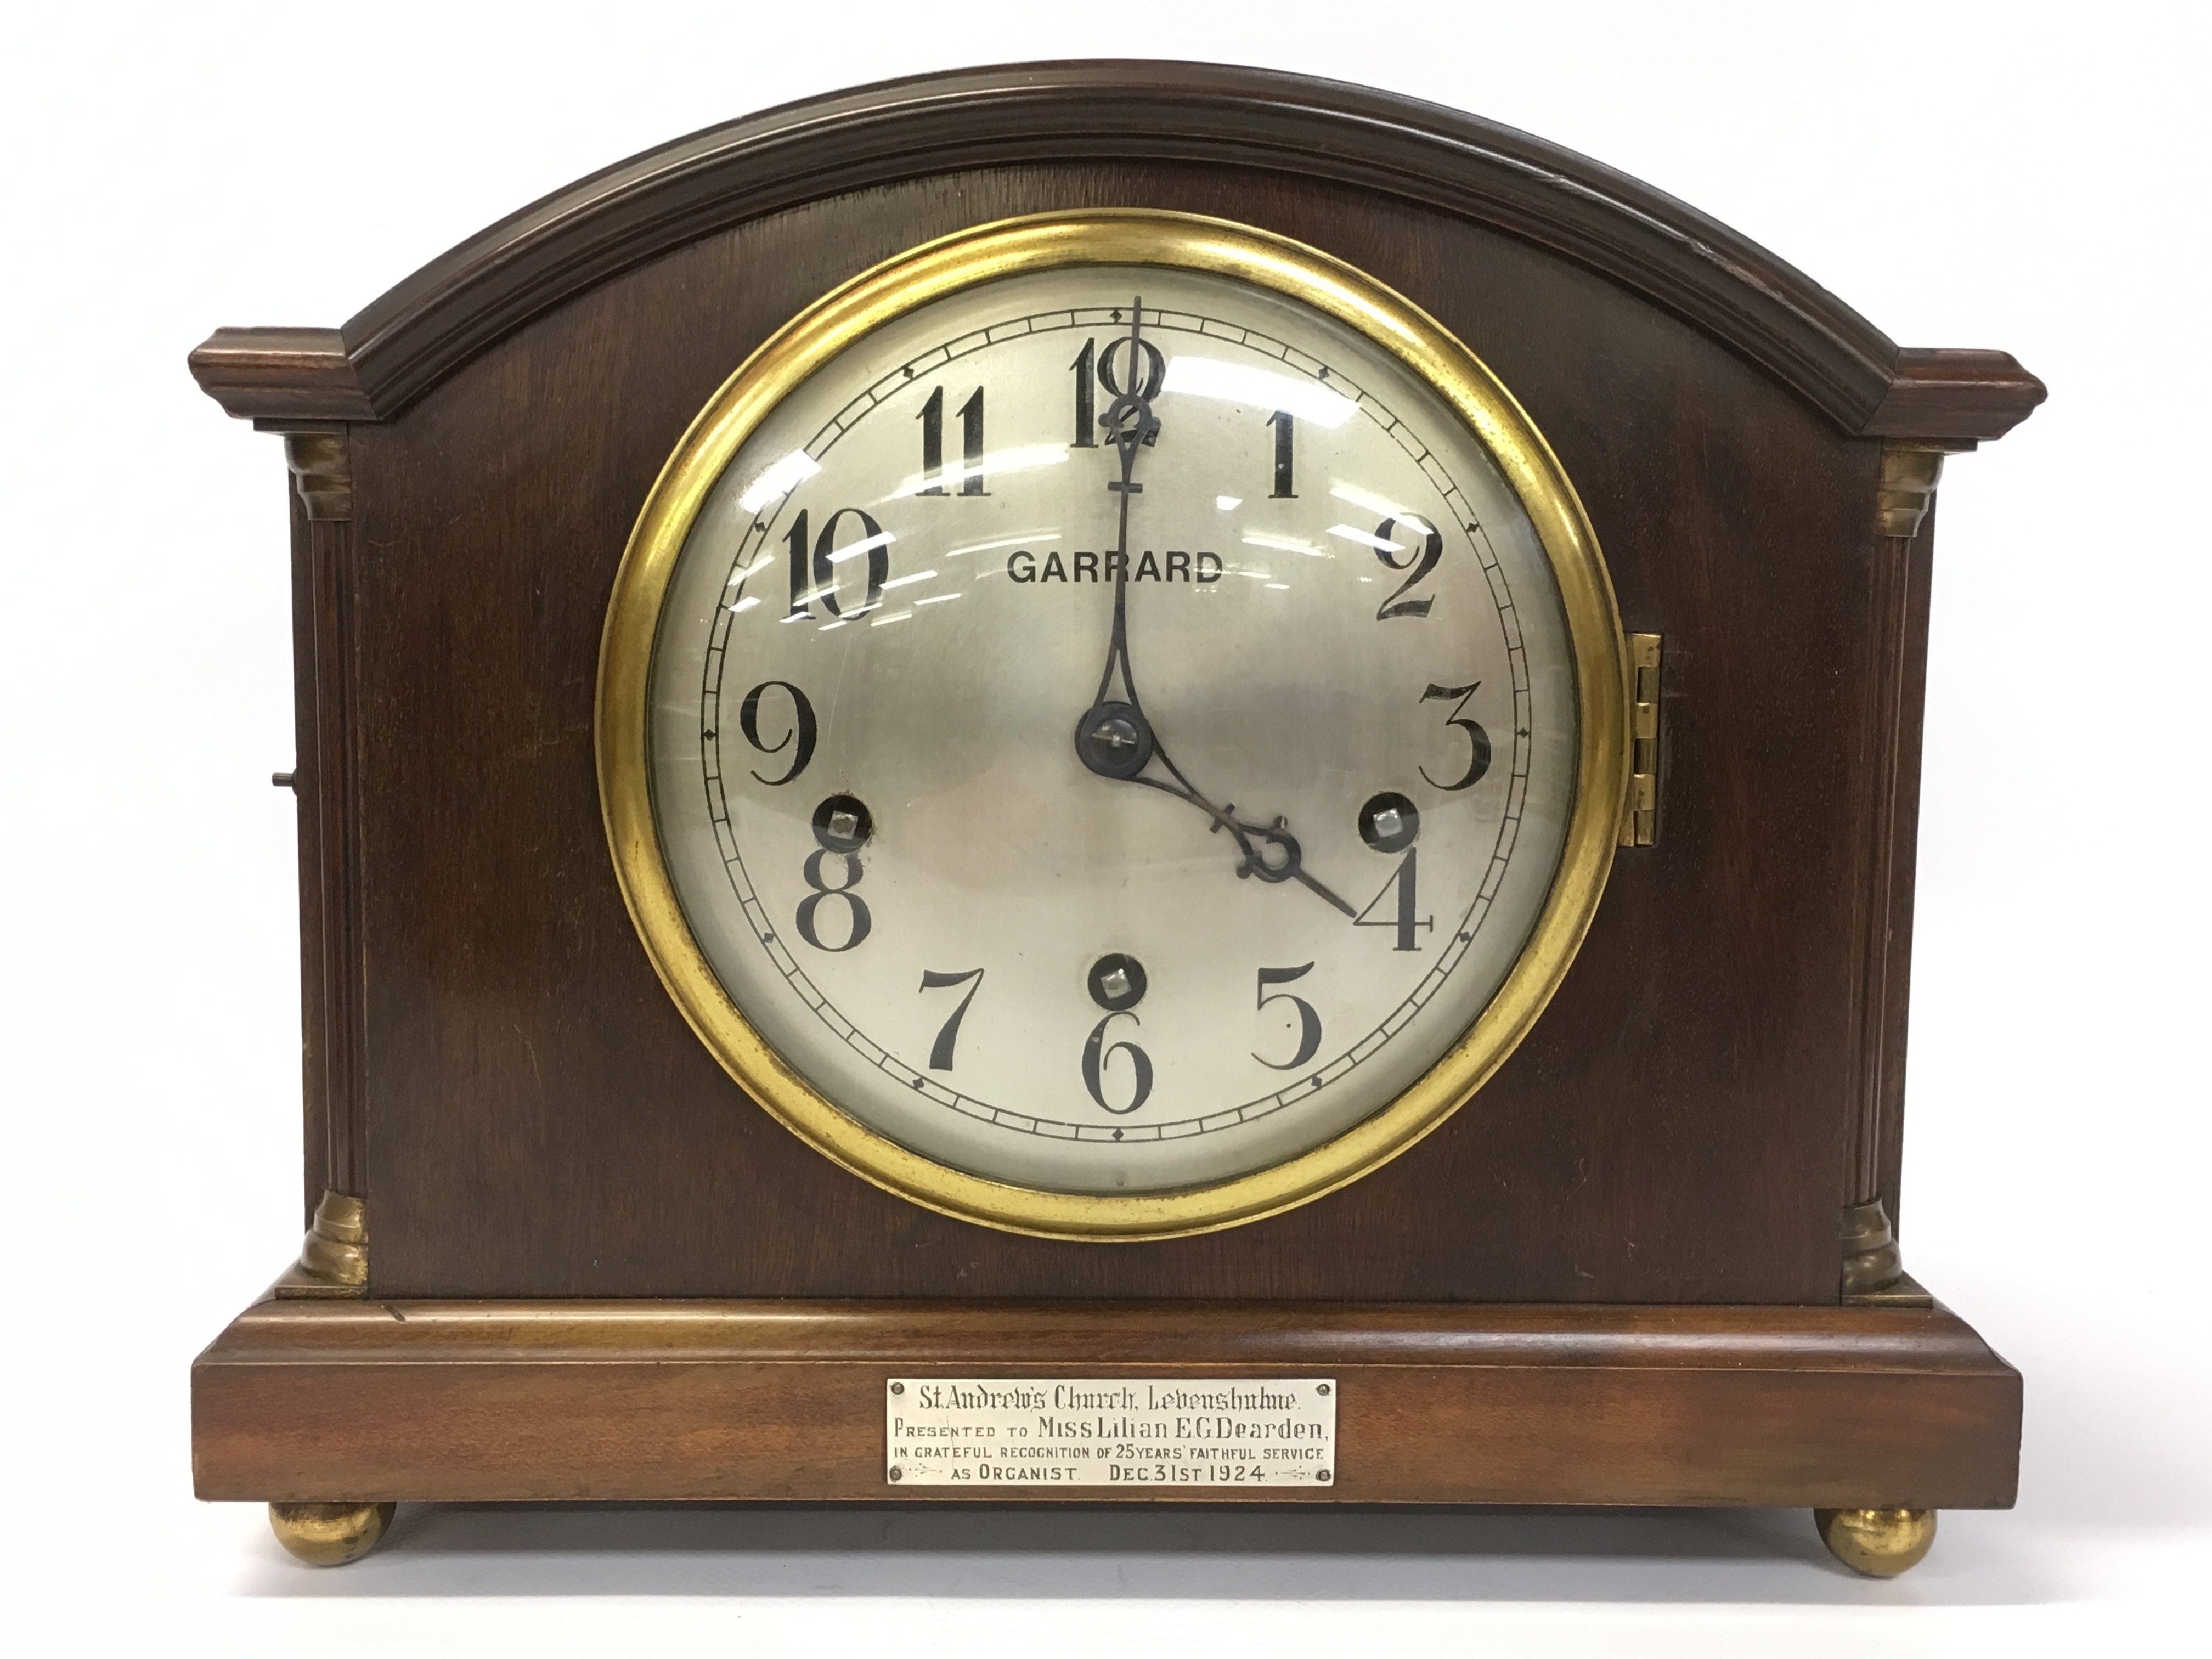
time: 4:00
